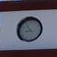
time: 8:53
